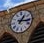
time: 1:16
